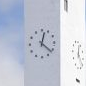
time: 12:21
